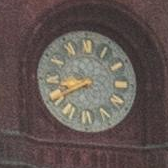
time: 8:40
